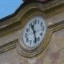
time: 11:28
